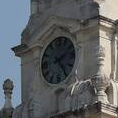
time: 2:24
